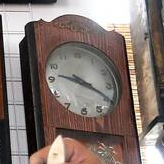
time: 9:19
